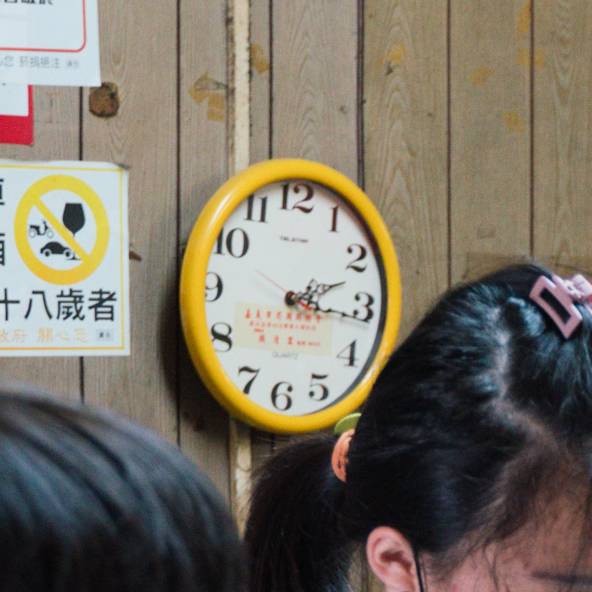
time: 2:16
